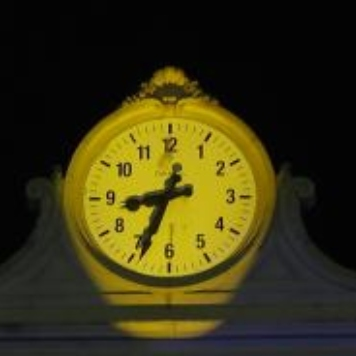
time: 8:33
